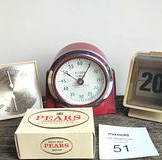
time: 10:05
